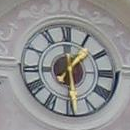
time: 1:29
